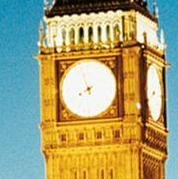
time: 7:57
